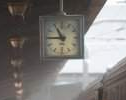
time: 10:45
